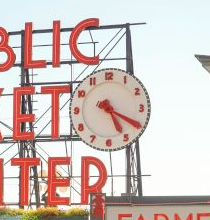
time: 5:19
